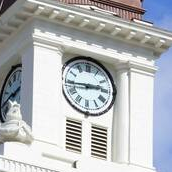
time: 2:44
